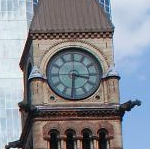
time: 3:31
